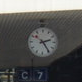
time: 2:24
